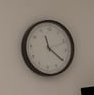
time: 11:20
